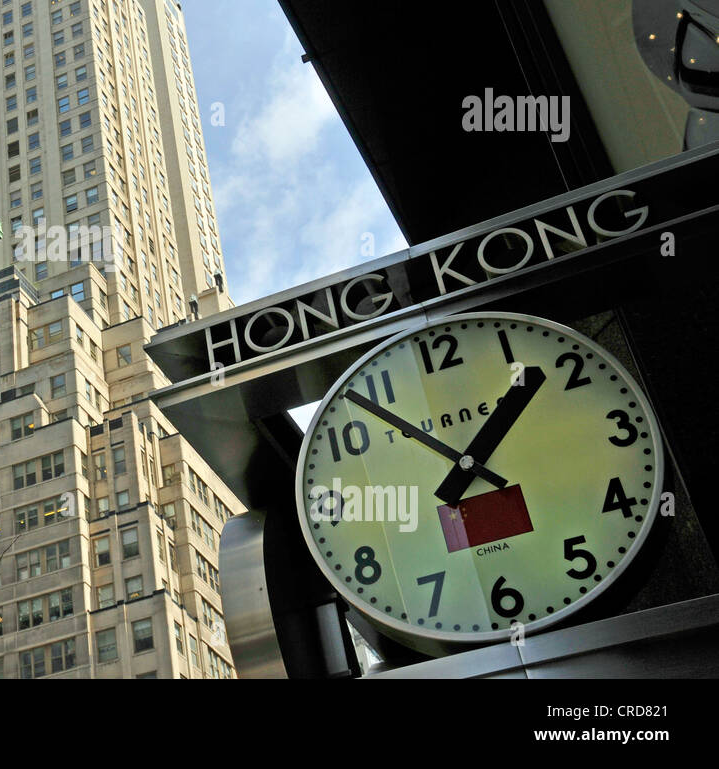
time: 1:53
